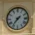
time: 1:36
